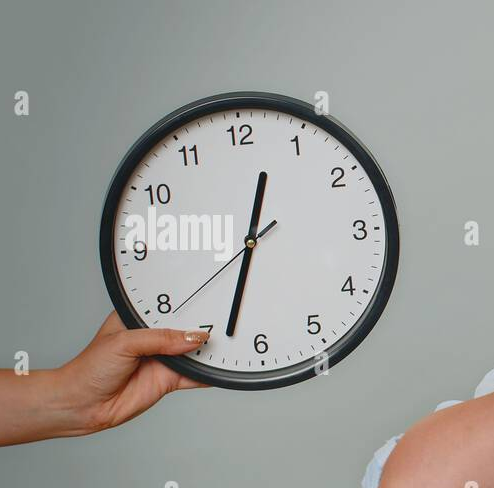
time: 12:32
